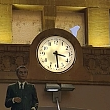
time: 3:29
